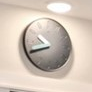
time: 10:41
